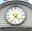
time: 4:34
